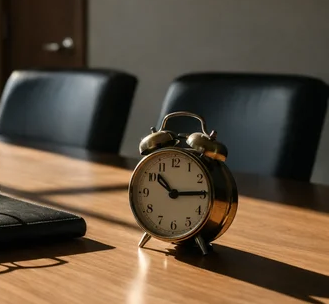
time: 10:14
